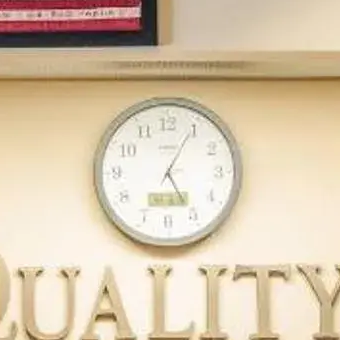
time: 5:04
